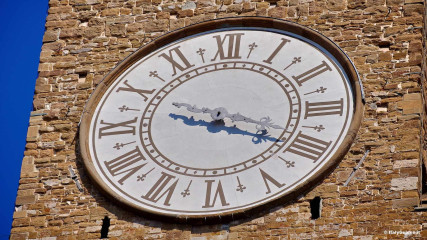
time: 9:19
